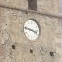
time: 3:47
